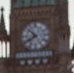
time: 7:52
